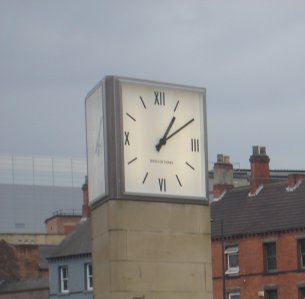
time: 1:09
